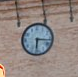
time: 6:16
